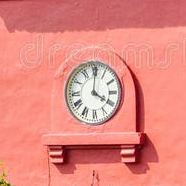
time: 4:00
